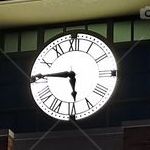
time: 5:45
